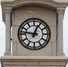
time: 12:46
